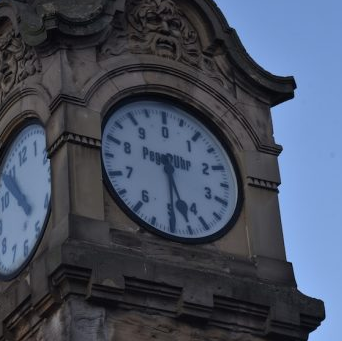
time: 5:30
